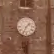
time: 1:34
